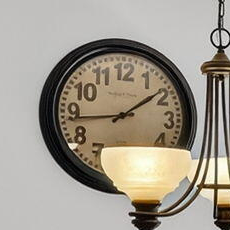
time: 1:43
